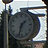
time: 1:33
